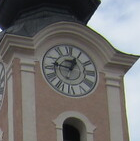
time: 12:46
